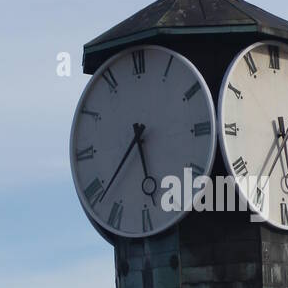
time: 5:38
